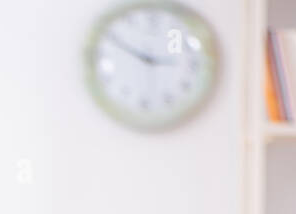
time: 2:49
